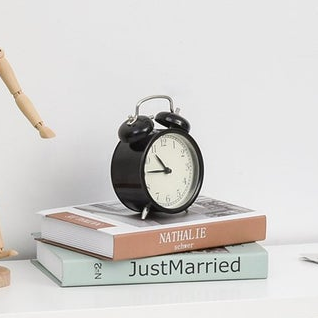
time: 10:45
